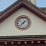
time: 1:37
